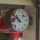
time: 10:42
